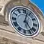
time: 5:02
